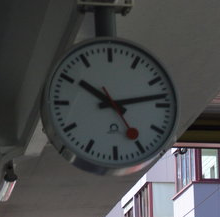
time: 10:13
